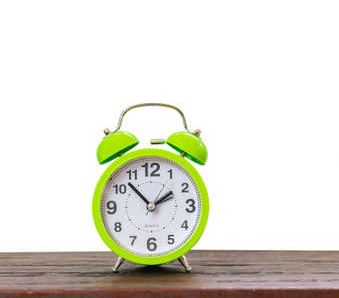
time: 1:52
